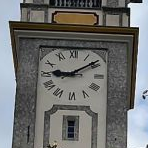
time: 9:09
